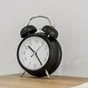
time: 10:24
